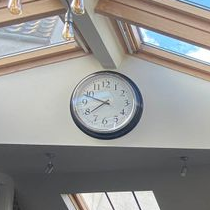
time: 7:48
